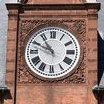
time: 10:49
